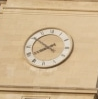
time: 7:50
